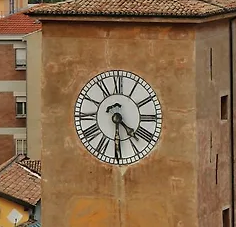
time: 4:29
